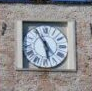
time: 5:54
